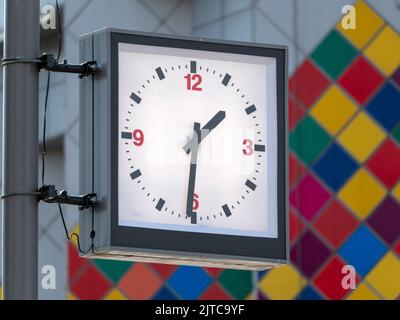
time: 1:30
